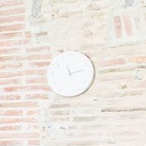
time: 11:12
